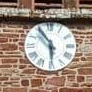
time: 5:54
